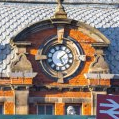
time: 5:08
